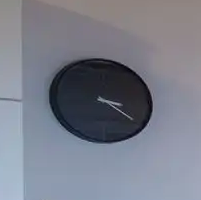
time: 3:21
